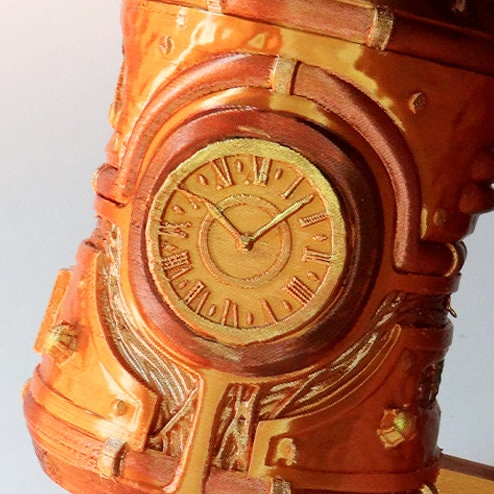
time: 10:07
